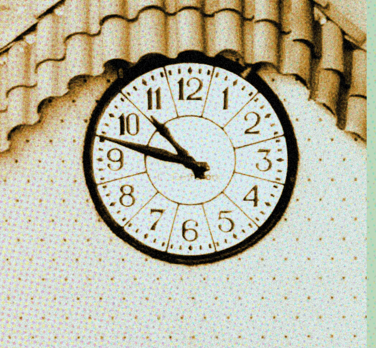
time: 10:47
